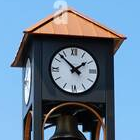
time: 1:52
